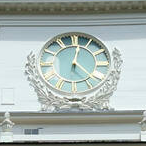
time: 12:21
